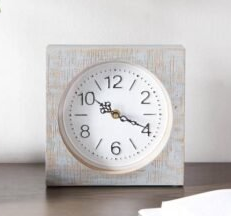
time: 10:18
